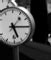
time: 5:15
